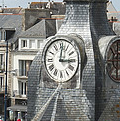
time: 3:01
